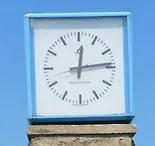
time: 12:13
